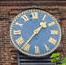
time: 1:36
